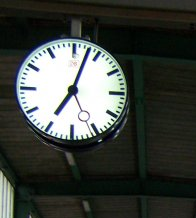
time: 7:03
